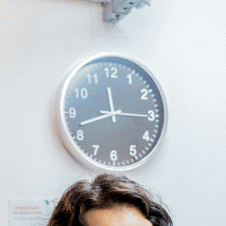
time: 11:42
